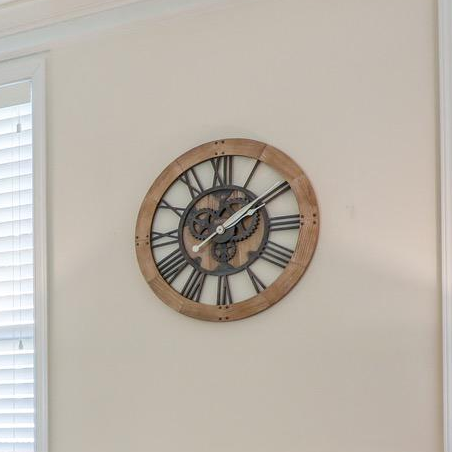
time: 12:09
